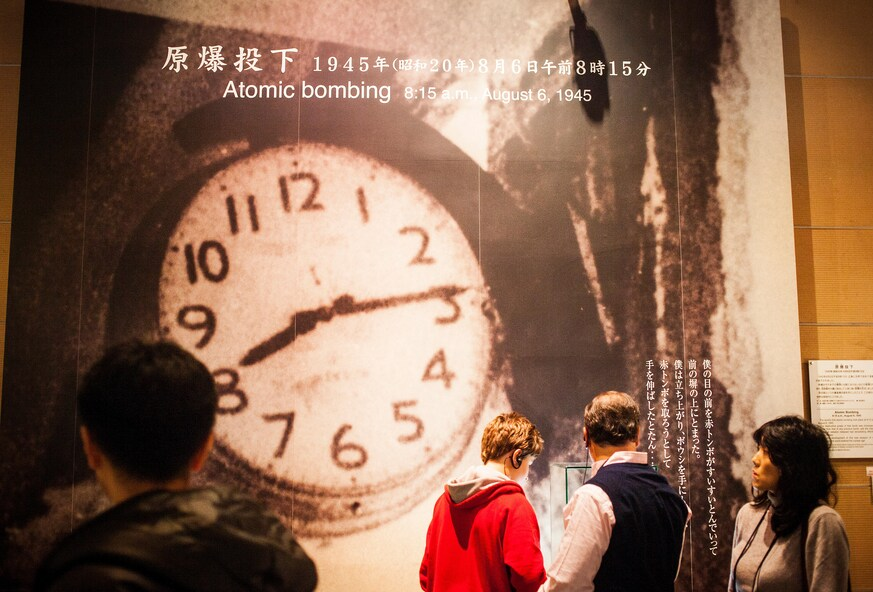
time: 8:14
